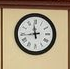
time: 11:43
